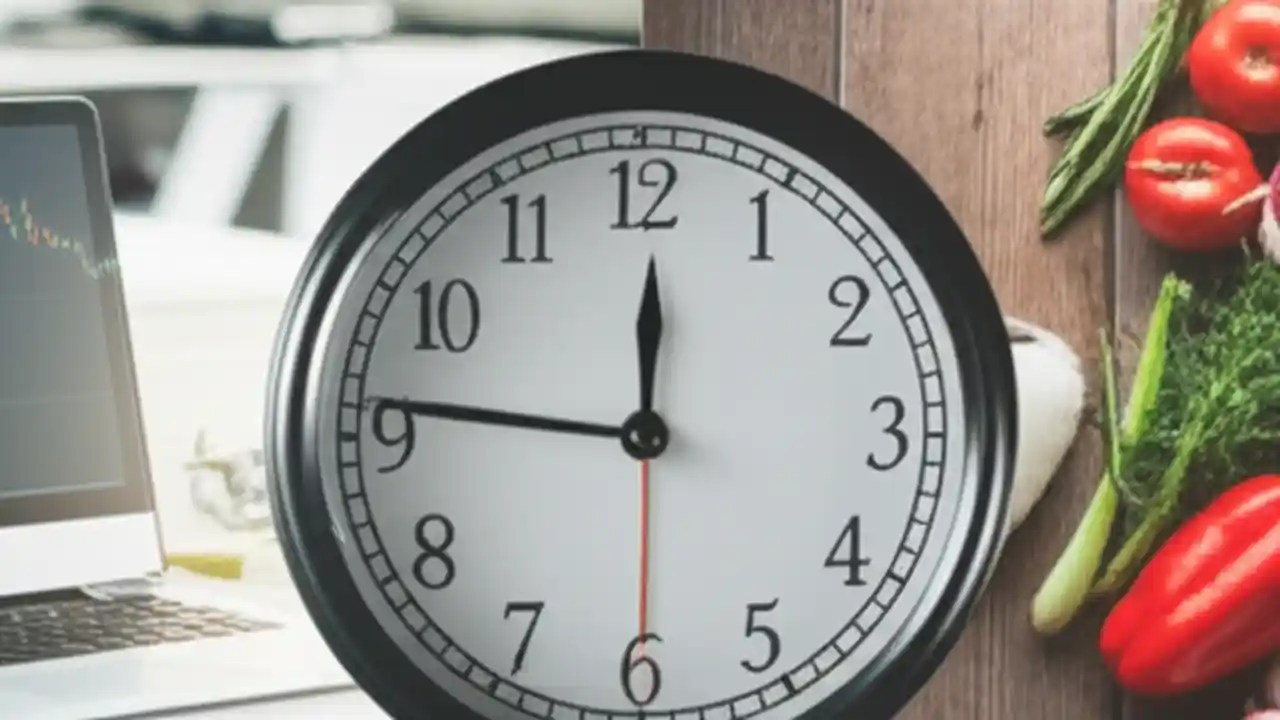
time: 11:46
